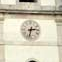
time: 2:32
